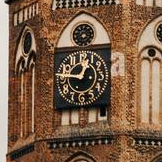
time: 12:46
